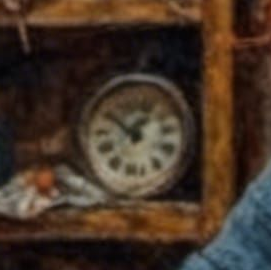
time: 12:51
